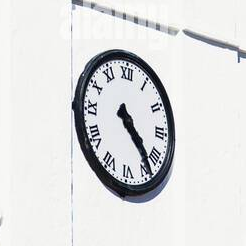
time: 4:23
